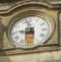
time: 8:57
